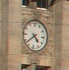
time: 4:38
